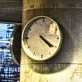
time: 4:20
